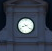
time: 8:21
